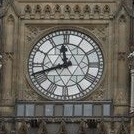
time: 11:41
